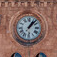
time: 1:07
